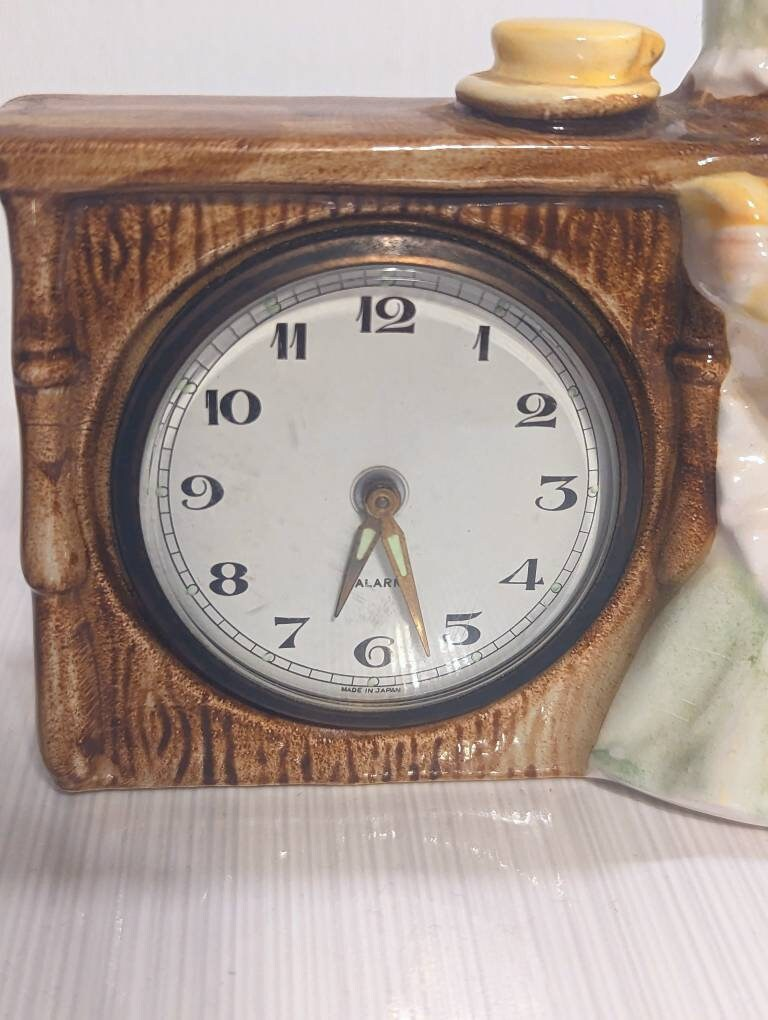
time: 6:27
